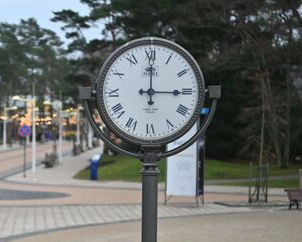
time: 3:00
